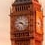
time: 9:22
